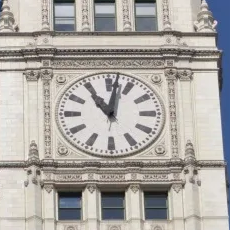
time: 11:01
